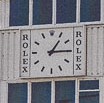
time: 1:14
